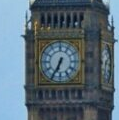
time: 6:34
